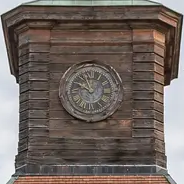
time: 9:57
